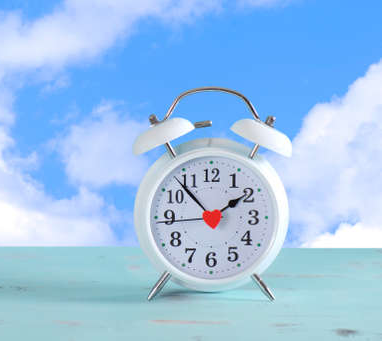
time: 1:53
